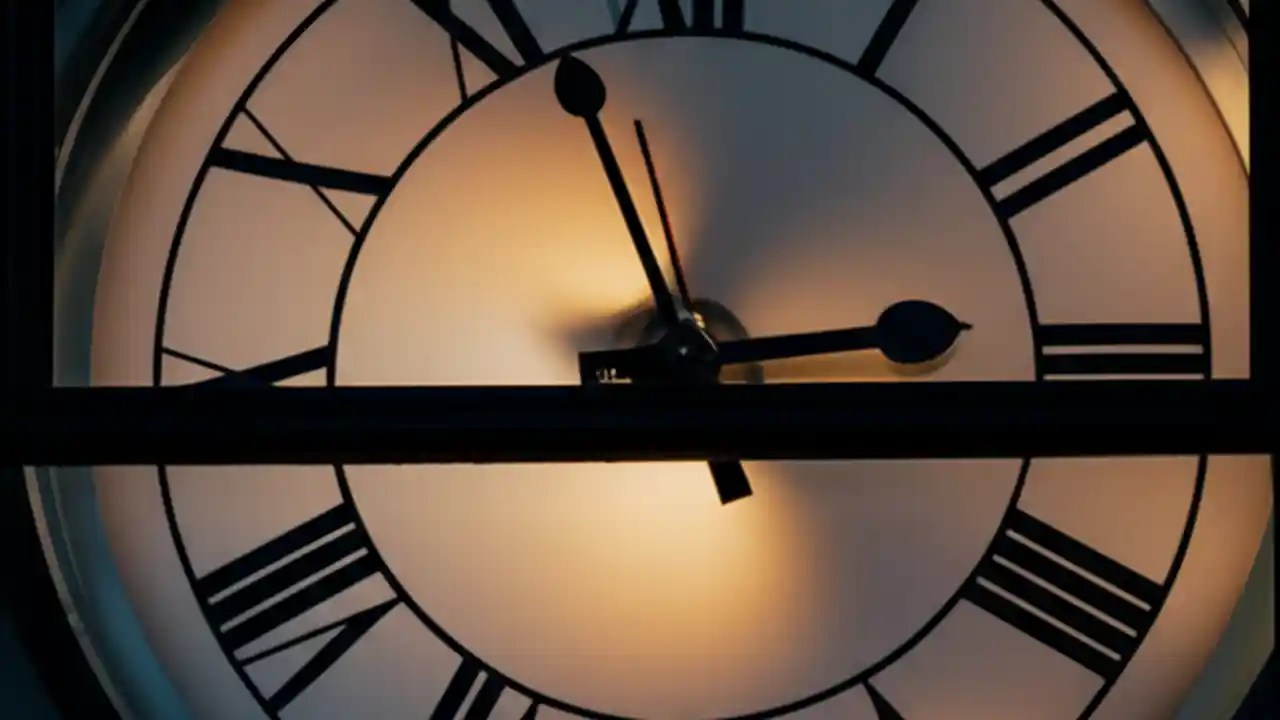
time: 2:56
